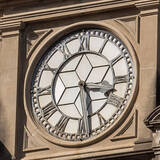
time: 3:28
